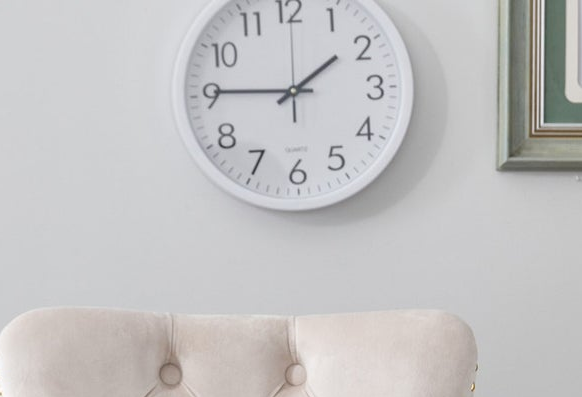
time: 1:45
